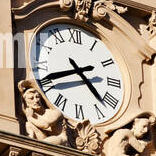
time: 4:41
